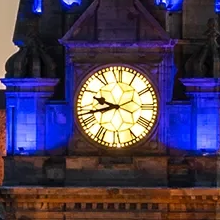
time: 9:42
